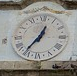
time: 12:36
